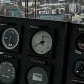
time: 11:41
